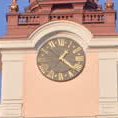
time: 1:20
